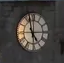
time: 4:57
